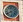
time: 5:40
